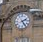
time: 2:23
